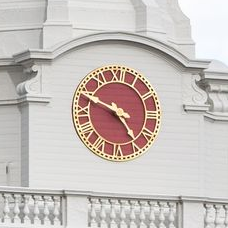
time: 4:49
